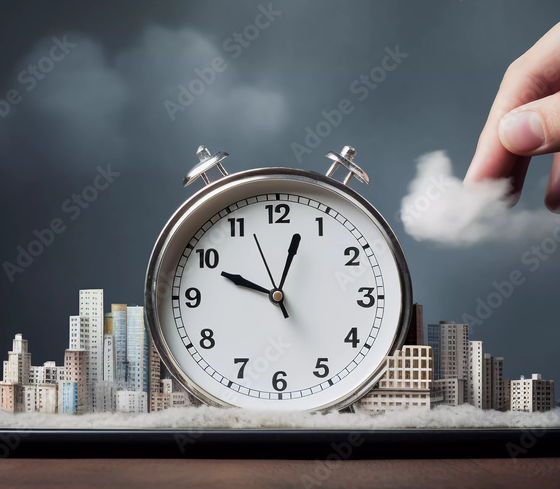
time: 12:48
